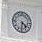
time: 4:31
